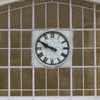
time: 9:49
